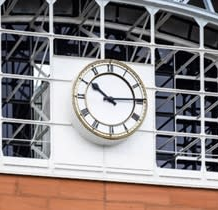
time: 10:14
